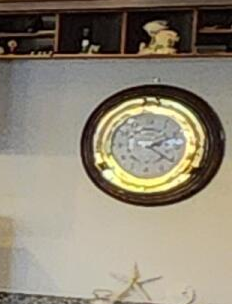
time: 2:21
